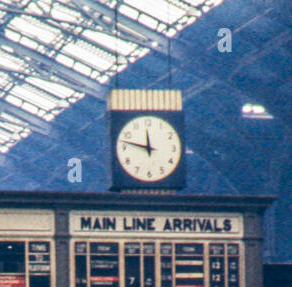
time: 11:47
